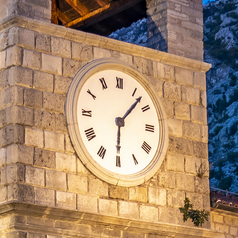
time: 6:07
